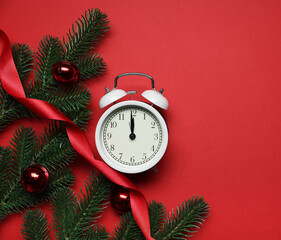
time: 11:59
